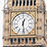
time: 12:28
